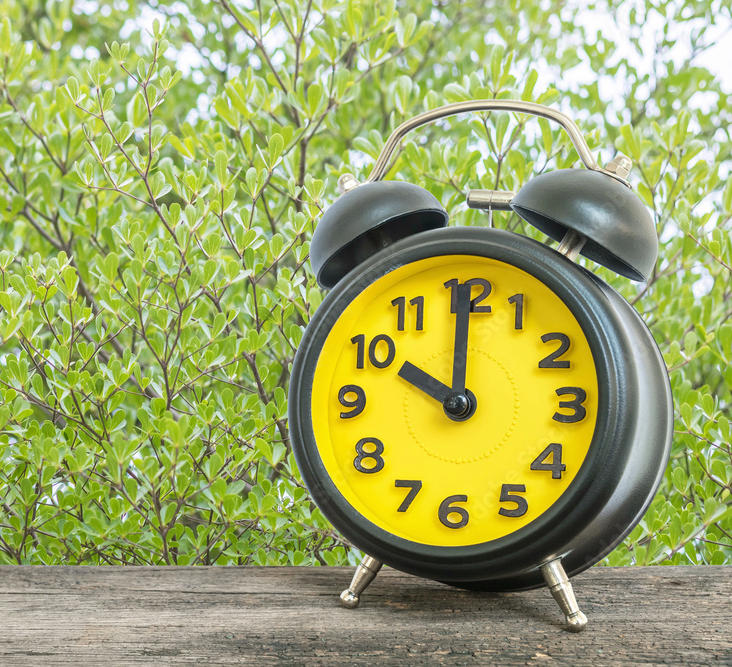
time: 10:00
